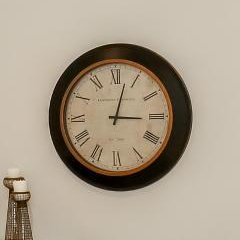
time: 3:02
